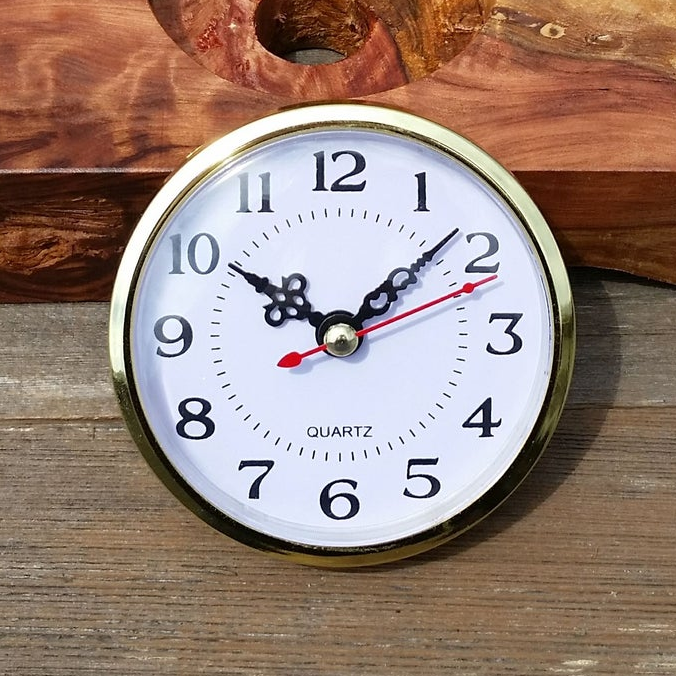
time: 10:08
